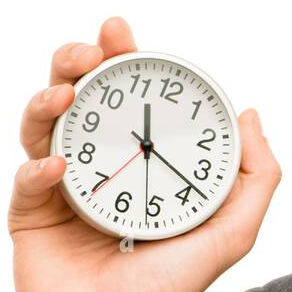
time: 11:18
